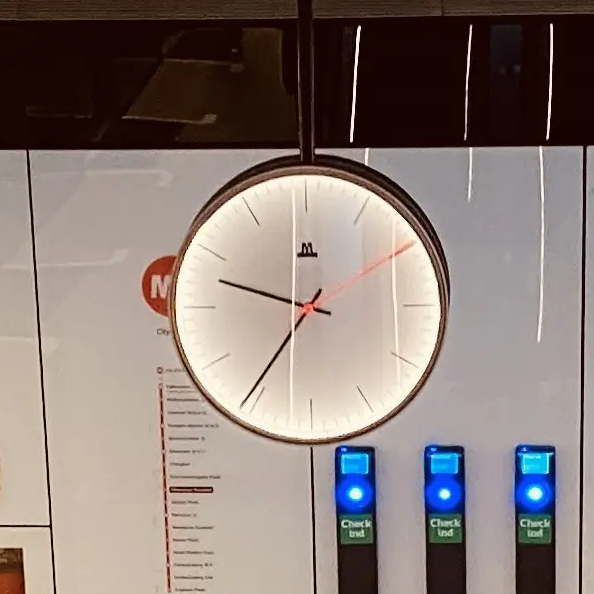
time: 9:35
